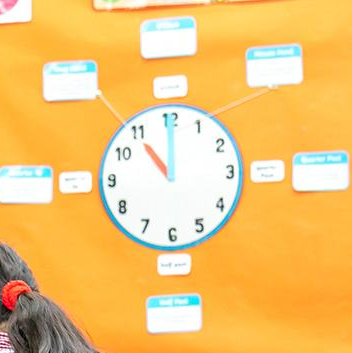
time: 11:00
